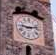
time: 9:12
